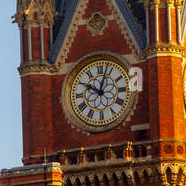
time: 10:02
